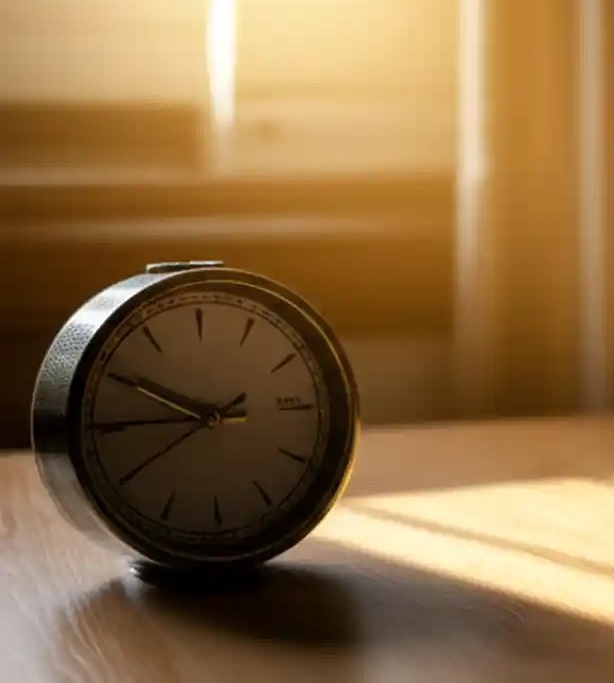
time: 9:44
